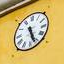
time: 5:26
